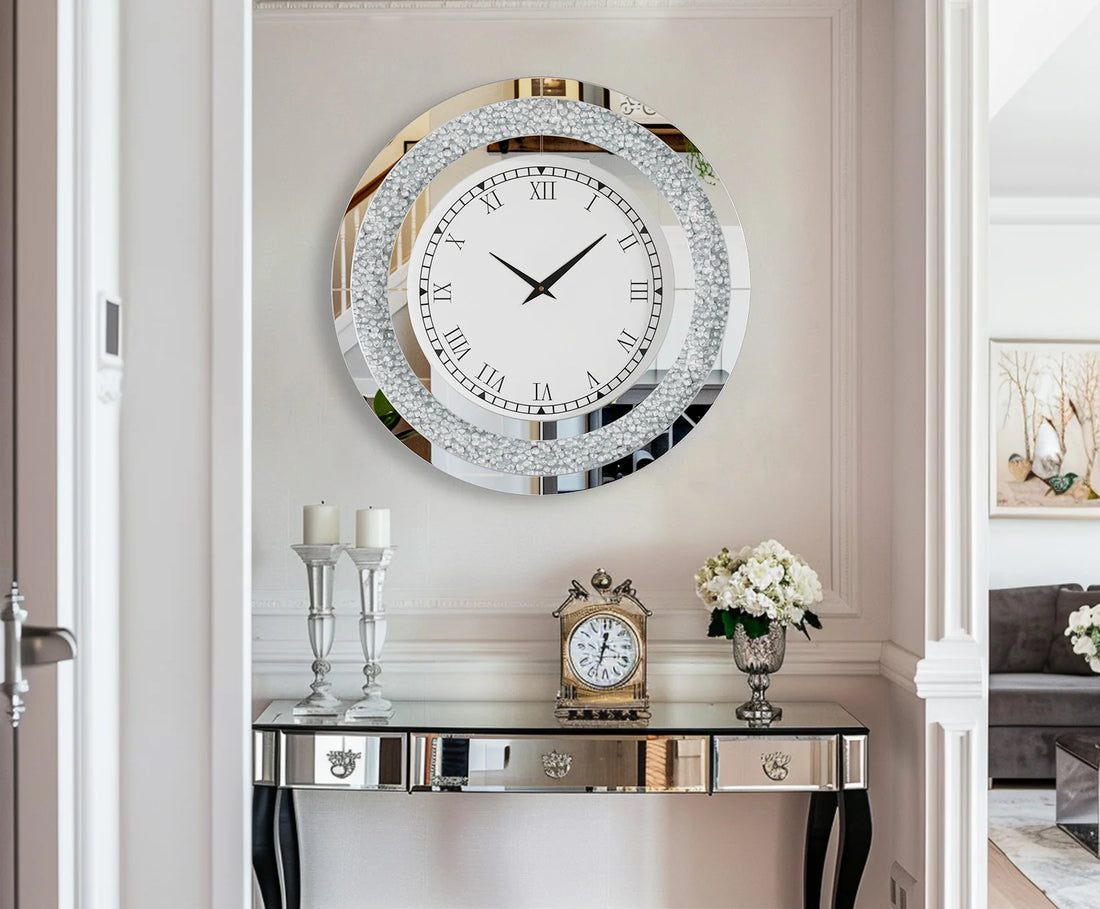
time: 10:08
